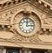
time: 12:13
